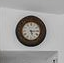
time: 5:14
